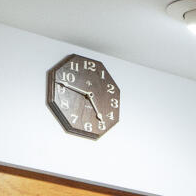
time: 4:46
